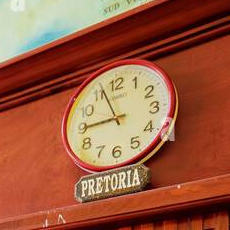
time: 8:56
